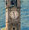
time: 11:28
